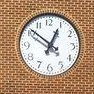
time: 12:51
